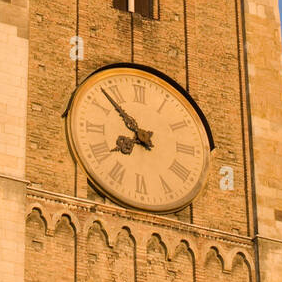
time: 7:52
